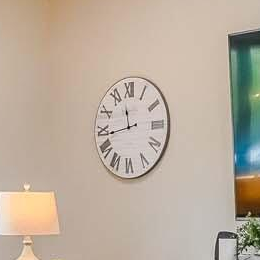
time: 11:43
